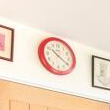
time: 10:20
